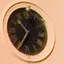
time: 10:35
